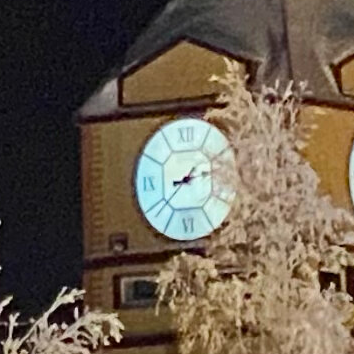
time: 8:38
